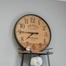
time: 7:45
